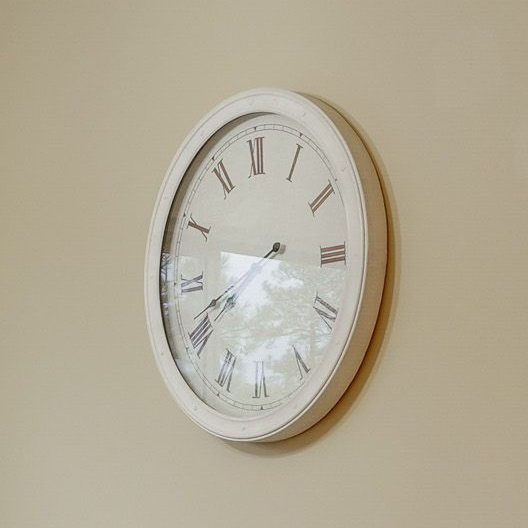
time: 9:41
